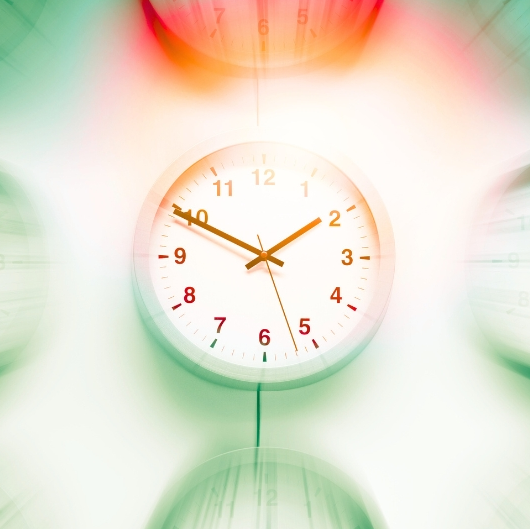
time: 1:49
